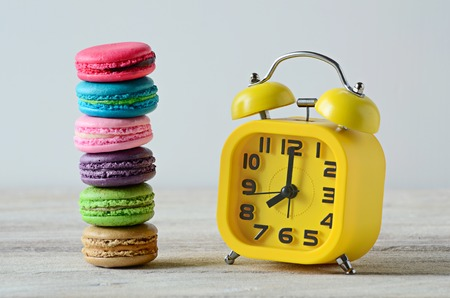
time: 7:59
